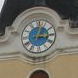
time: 3:02
